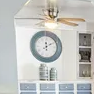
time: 12:09
